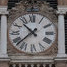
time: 10:37
